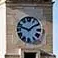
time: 1:47
